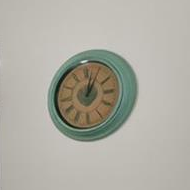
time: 1:02
